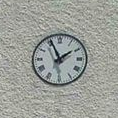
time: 1:56
